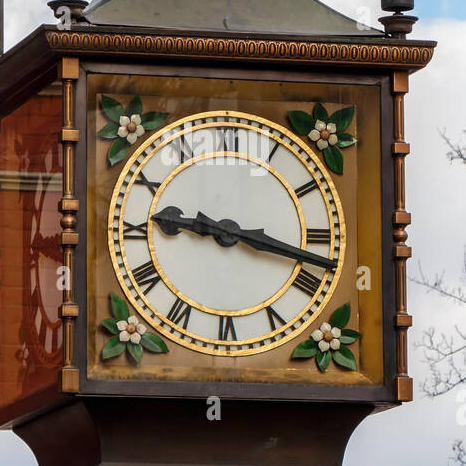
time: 9:17
